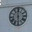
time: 5:59
